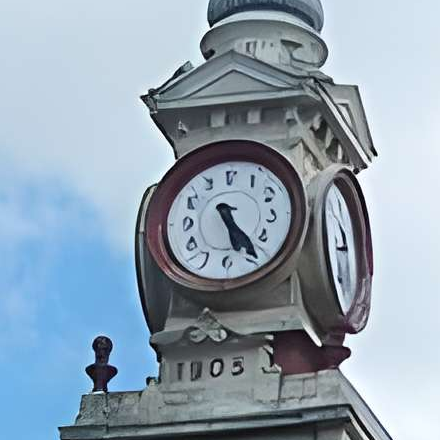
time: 5:24
